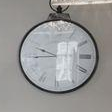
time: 9:44
